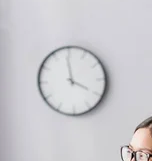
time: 3:58
